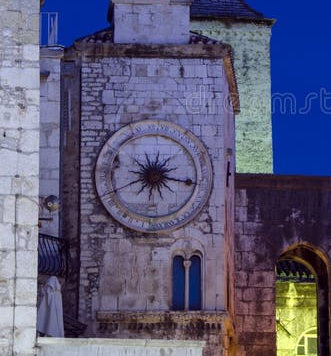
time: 1:16
